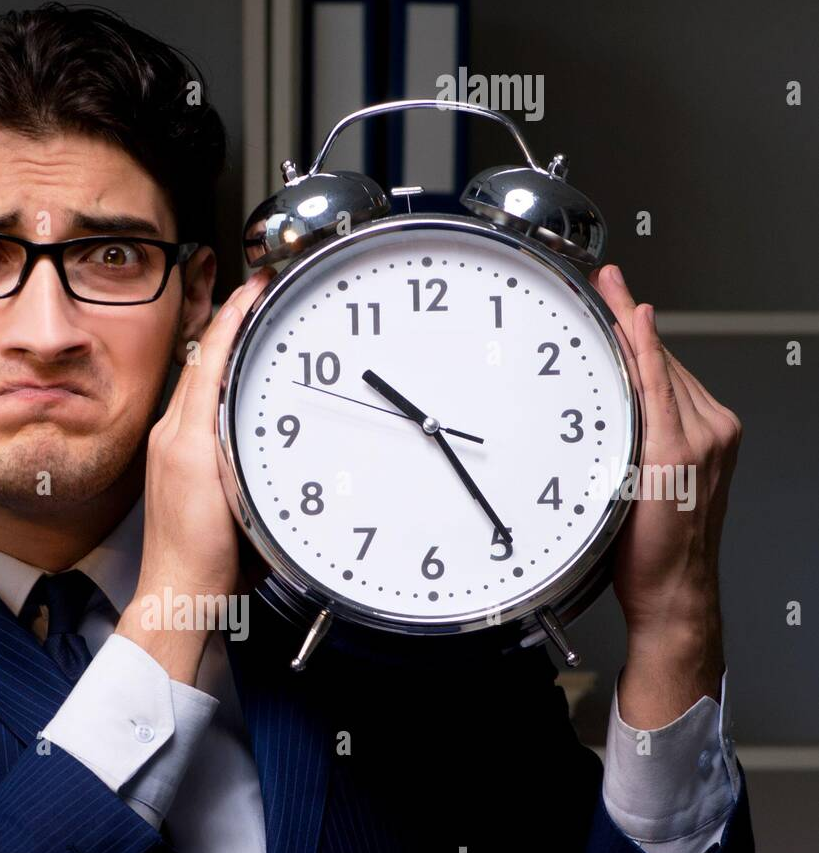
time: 10:24
